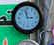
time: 2:57
